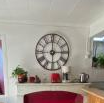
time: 3:00
